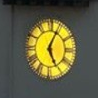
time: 5:04
